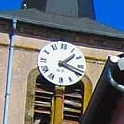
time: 1:18
